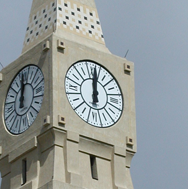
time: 12:01
